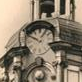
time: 12:49
